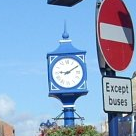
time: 9:10
